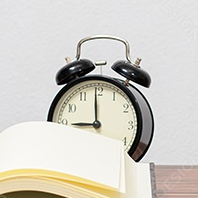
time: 8:59
